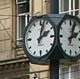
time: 2:02
